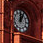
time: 12:05
